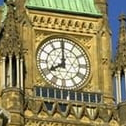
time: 7:59
